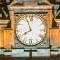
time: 7:55
